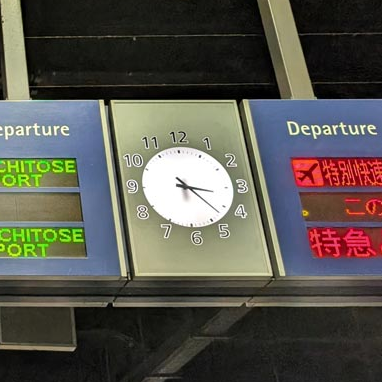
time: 3:22
